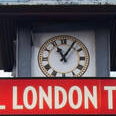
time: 11:05
